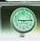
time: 9:14
